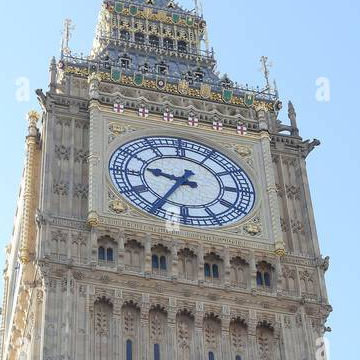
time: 9:34
